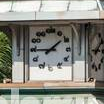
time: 1:45
